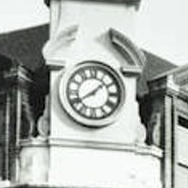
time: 1:39
